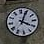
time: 4:04
